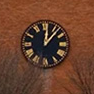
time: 12:06
